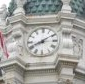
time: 8:09
